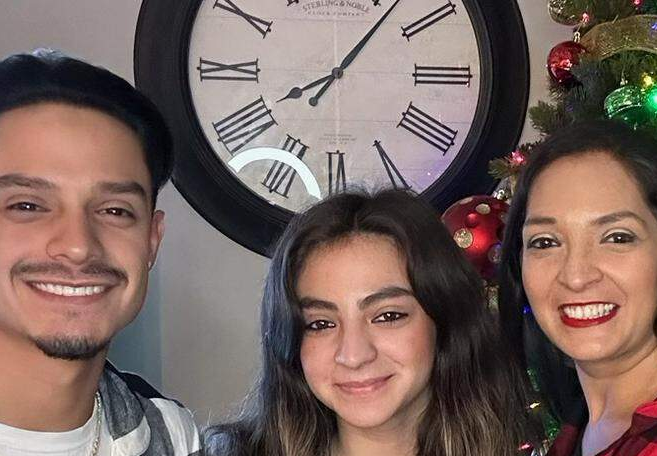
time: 8:06
